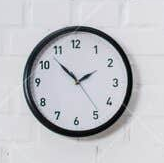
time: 1:52
